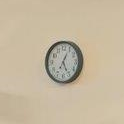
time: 5:04
